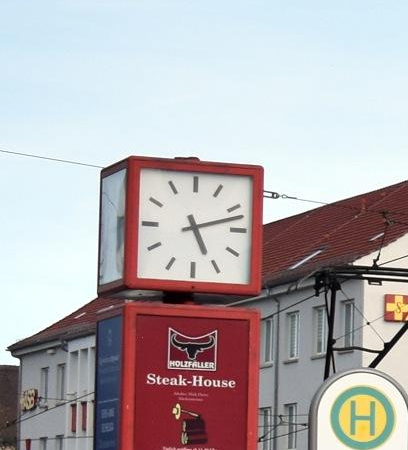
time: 5:12
